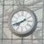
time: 7:40
